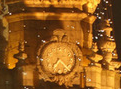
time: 7:22
